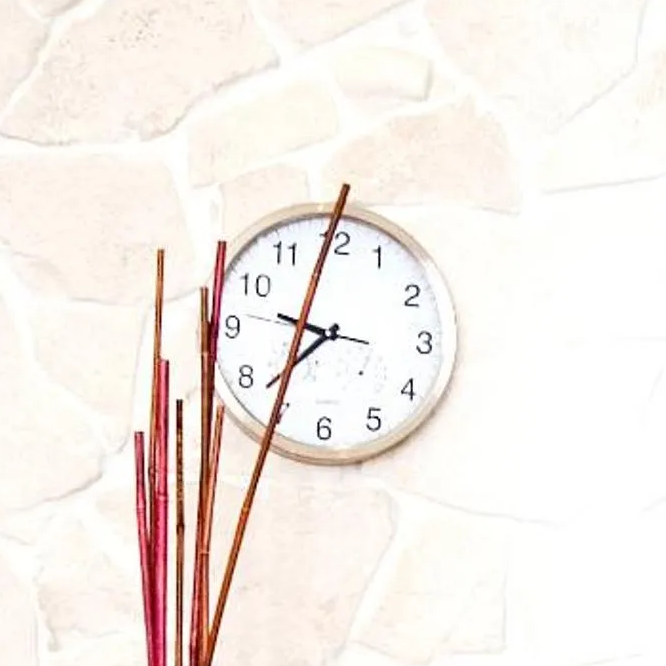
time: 9:38
